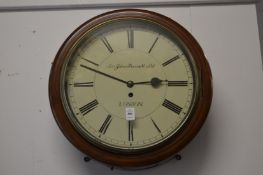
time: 2:48
